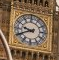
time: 9:41
